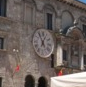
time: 12:55
